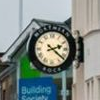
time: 2:21
